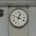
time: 12:48
